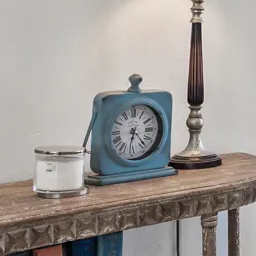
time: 6:23
